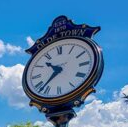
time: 10:37
